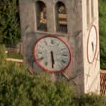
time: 5:29
